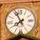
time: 7:55
